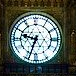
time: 9:33
